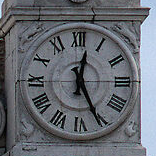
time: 12:25
